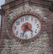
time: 4:33
